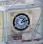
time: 1:12
